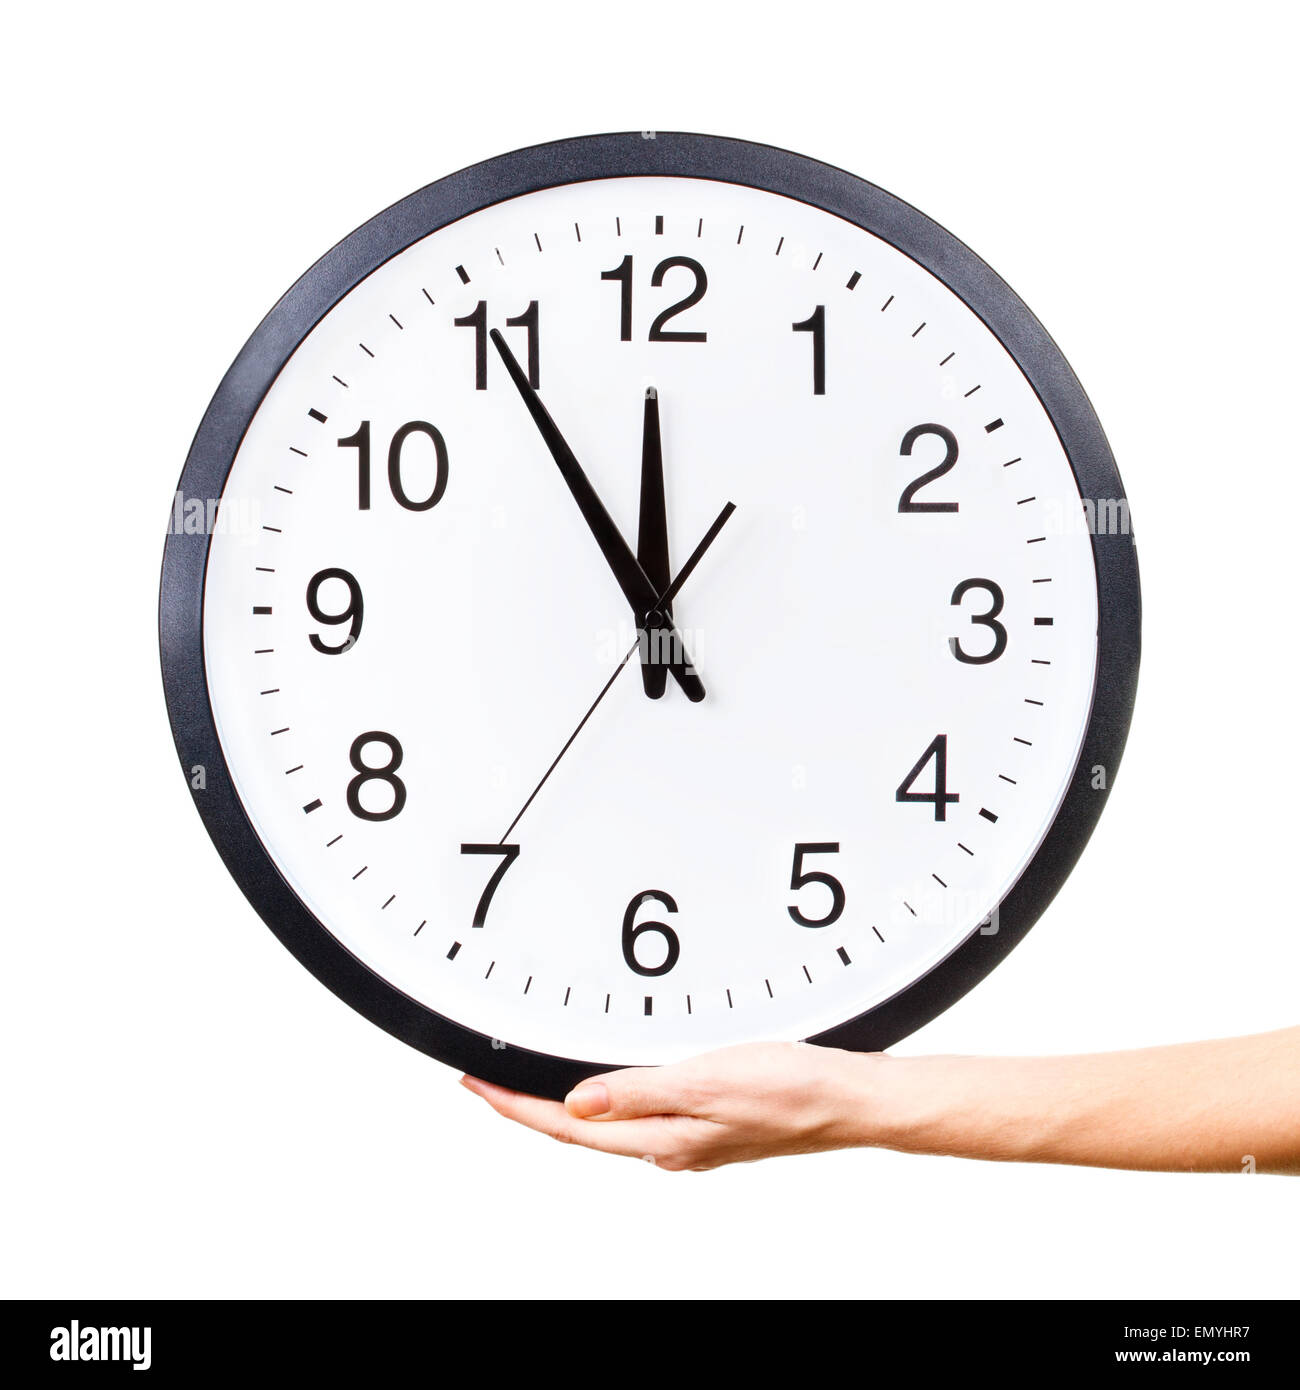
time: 11:54
